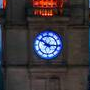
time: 10:15
